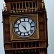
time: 10:25
